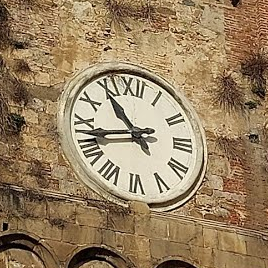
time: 10:42
